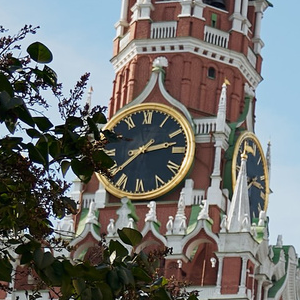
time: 2:37
